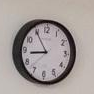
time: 8:54
